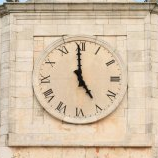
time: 4:59
